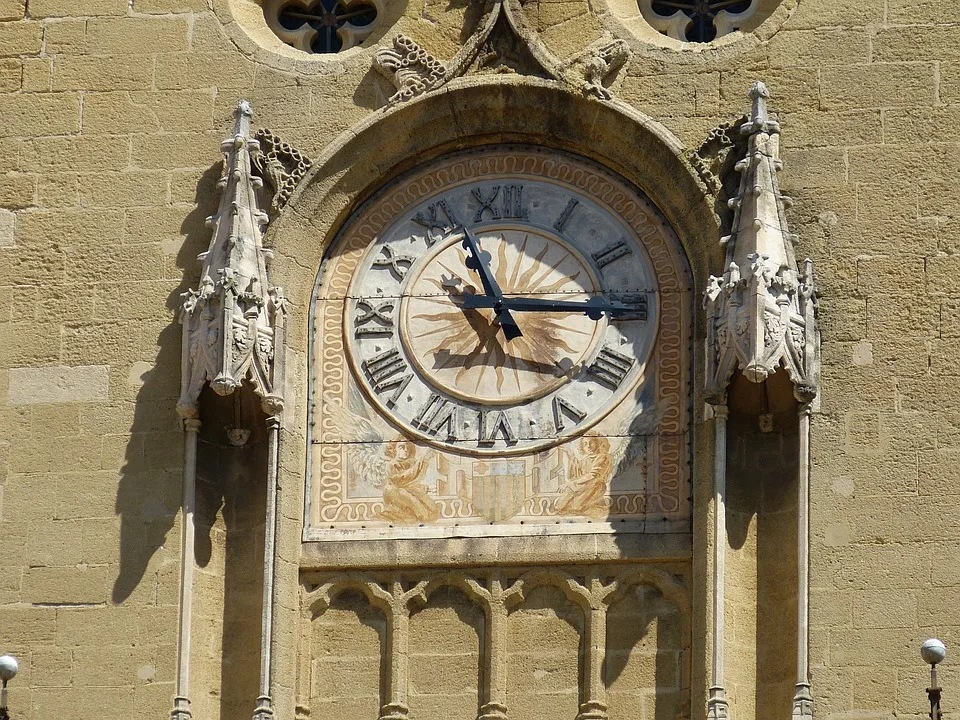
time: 2:56
